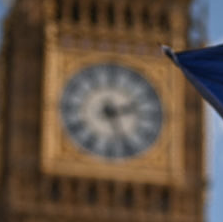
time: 2:26
